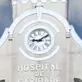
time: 9:09
